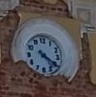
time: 4:20
